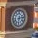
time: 6:13
